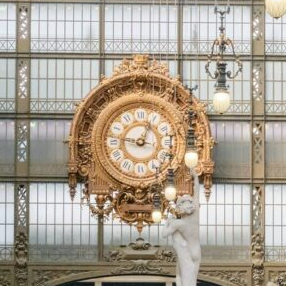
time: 12:46
